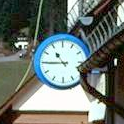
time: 10:45
